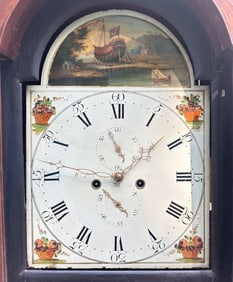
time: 9:08
